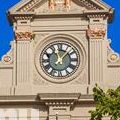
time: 11:07
